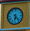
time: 6:23
